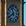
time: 11:40
